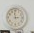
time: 2:58
